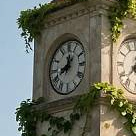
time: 8:01
